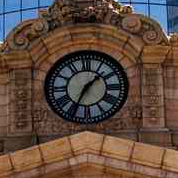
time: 1:34
